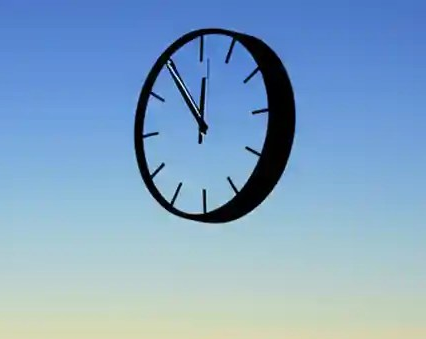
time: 11:53
